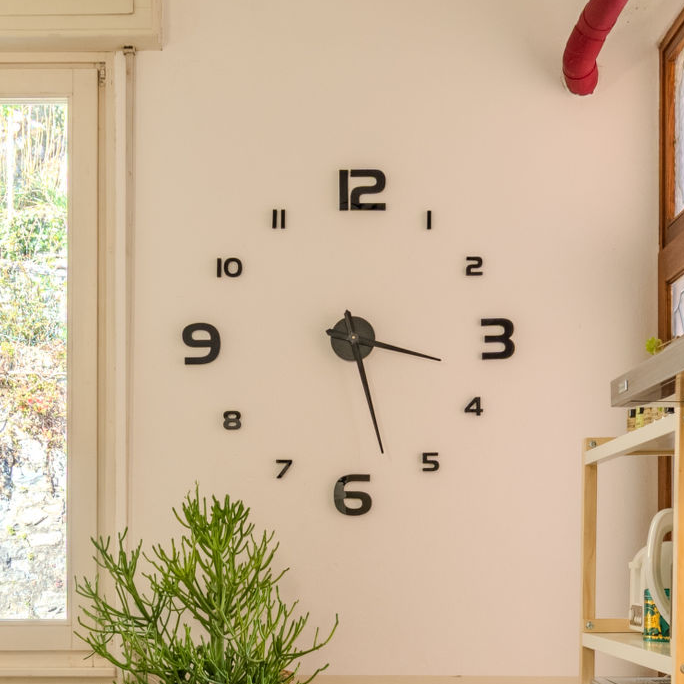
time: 3:27
